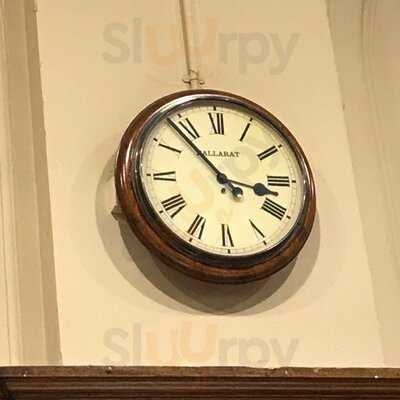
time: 3:53
